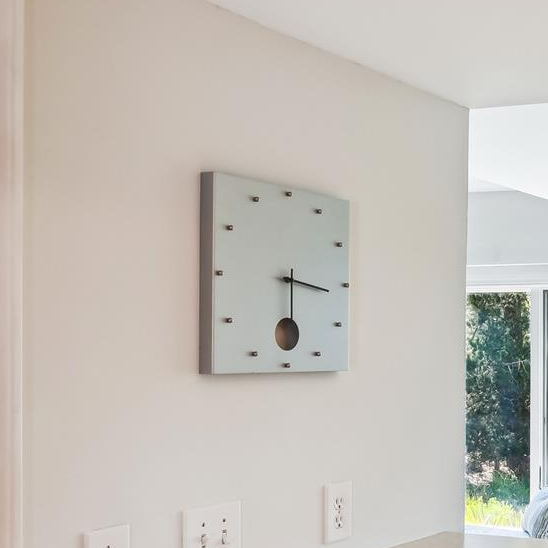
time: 6:16
